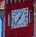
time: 7:06
